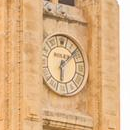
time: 6:08
